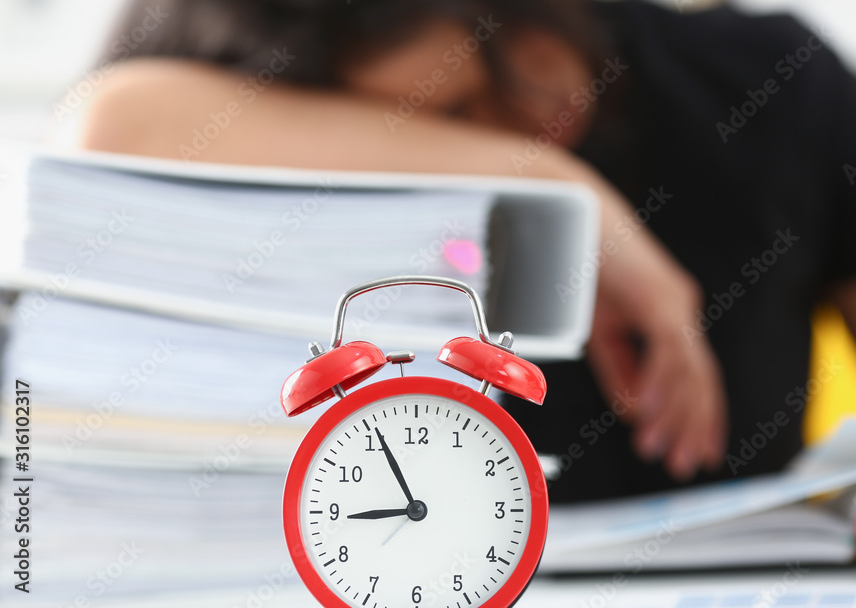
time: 8:55
